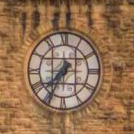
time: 7:34
